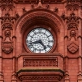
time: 4:42
